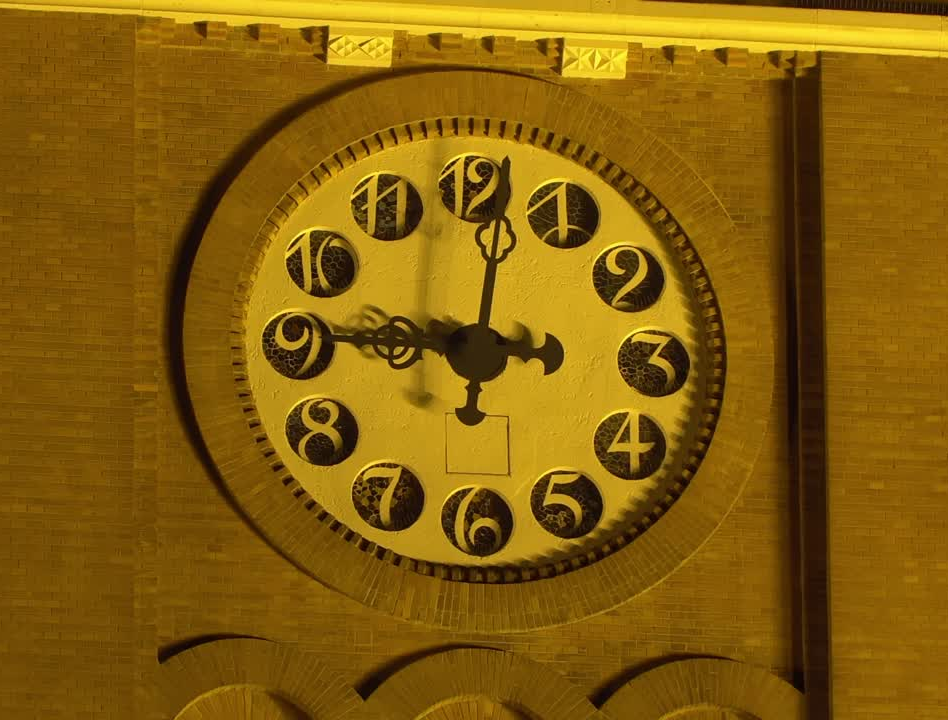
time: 9:01
